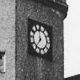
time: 11:35
